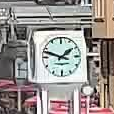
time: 1:48
